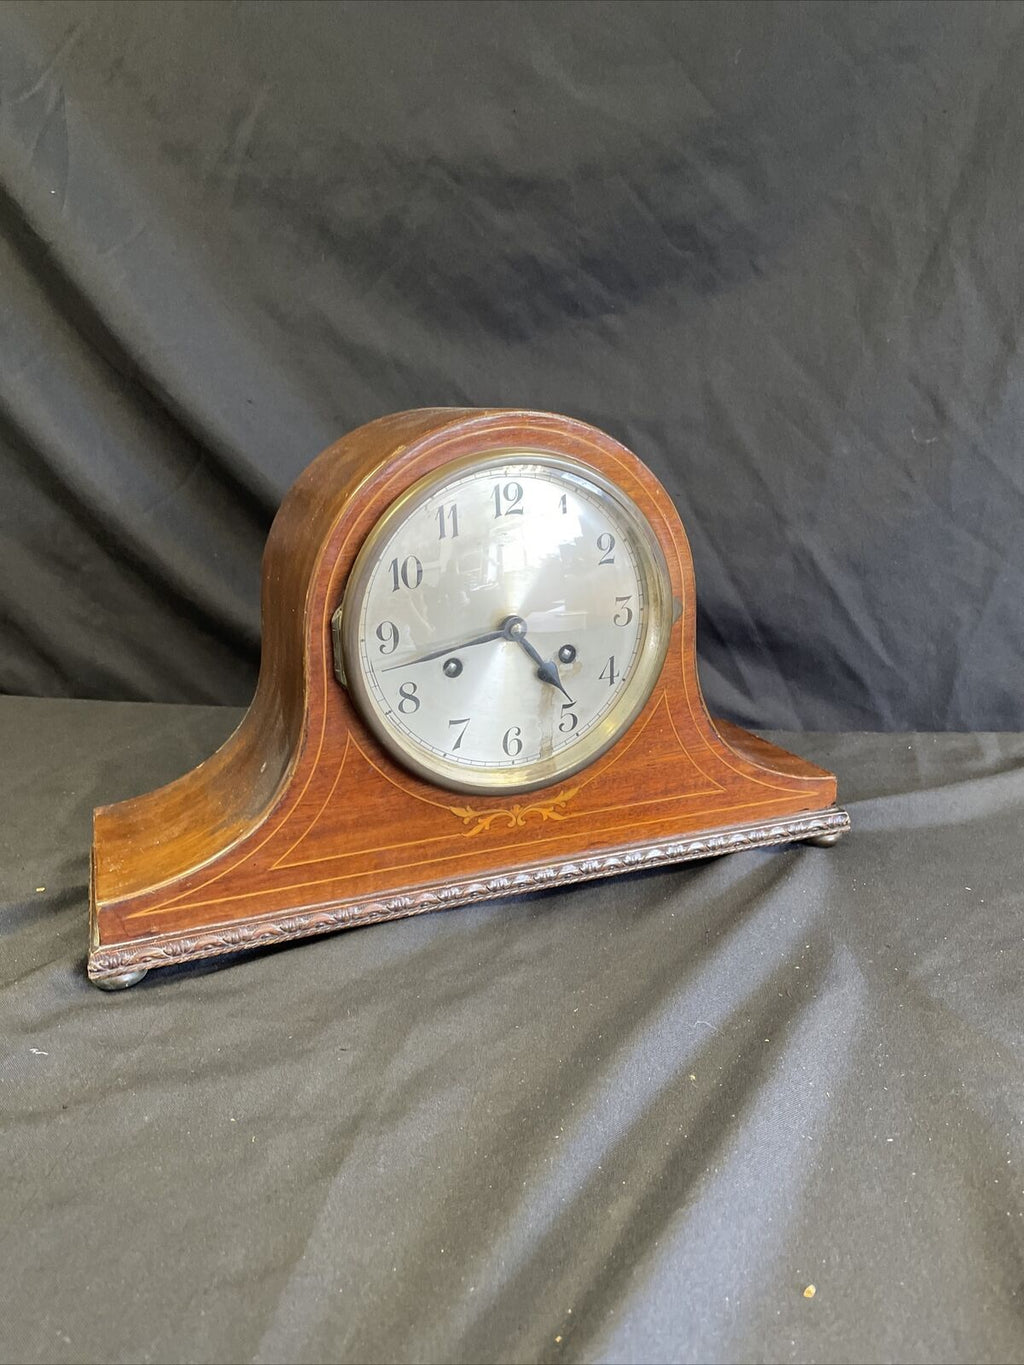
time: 4:42
